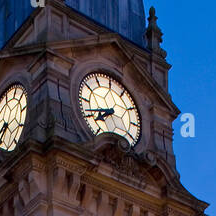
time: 7:41
